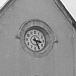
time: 3:25
